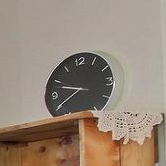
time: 9:40
